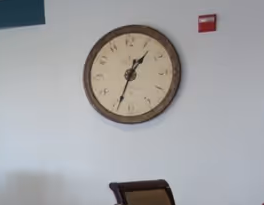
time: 1:33
